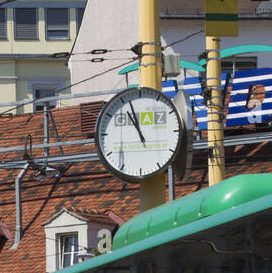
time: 10:56
